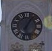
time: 6:05
